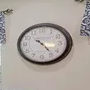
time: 10:23
